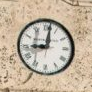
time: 9:01
